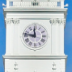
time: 11:46
